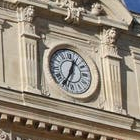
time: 12:34
